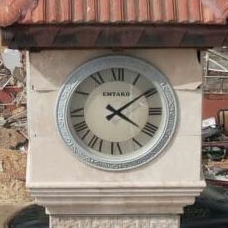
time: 4:09
